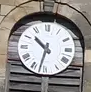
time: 10:32
